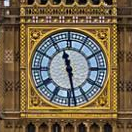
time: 11:28
